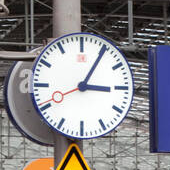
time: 3:05
